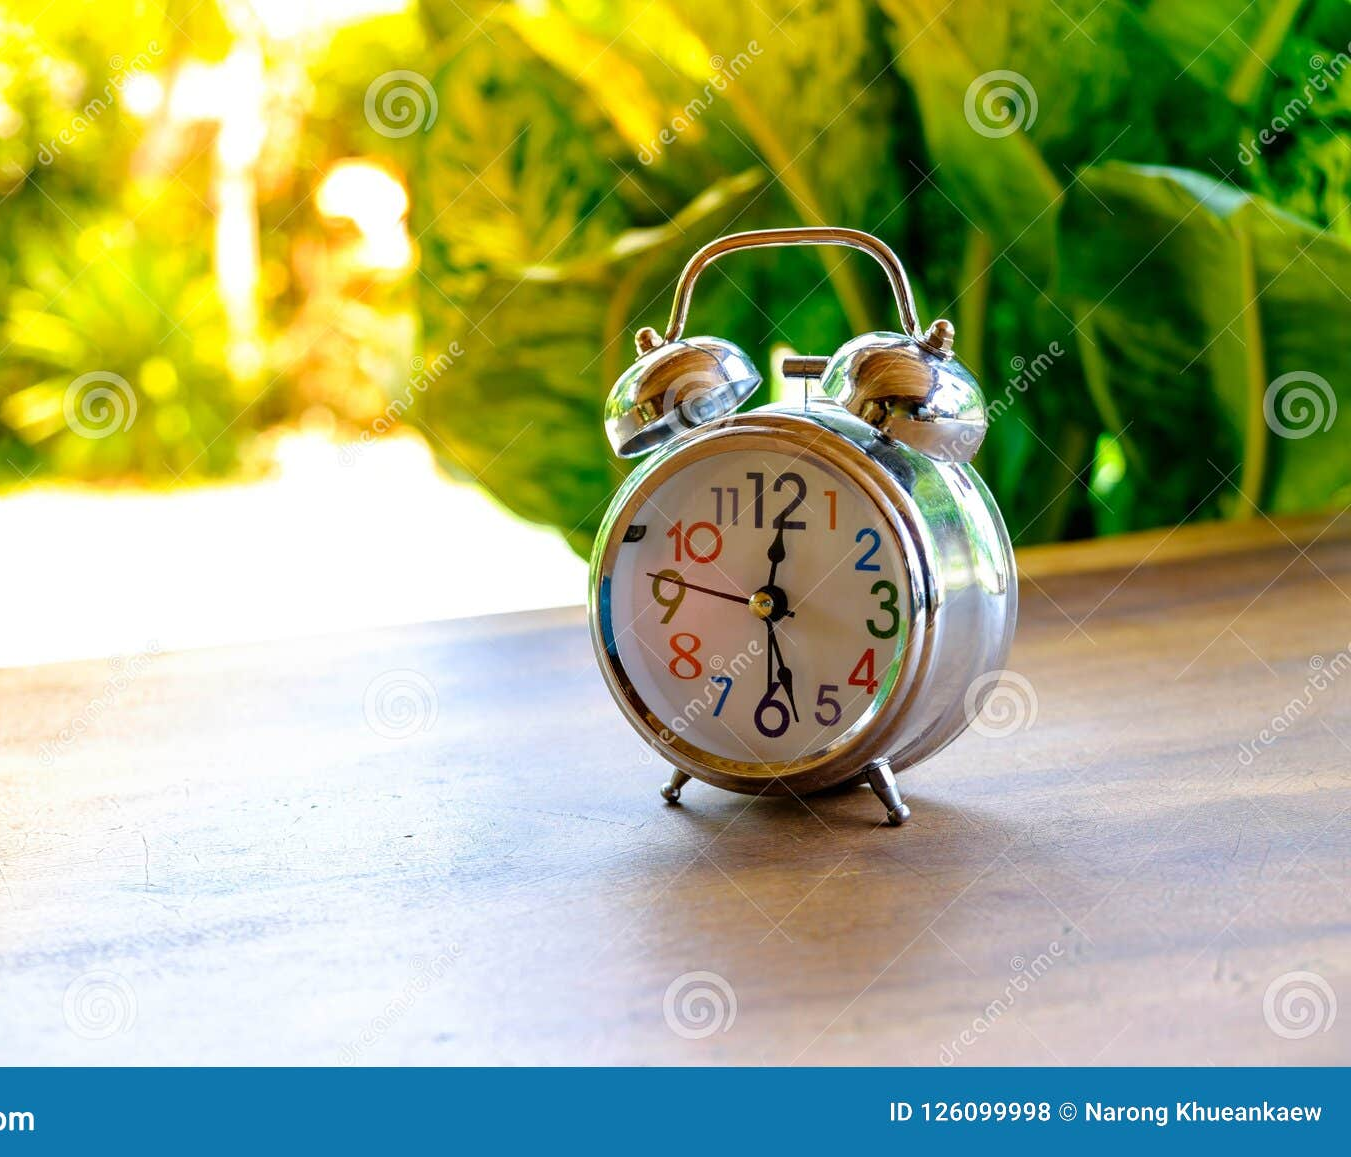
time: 12:28
